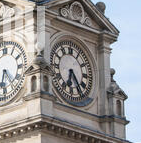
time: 6:23
